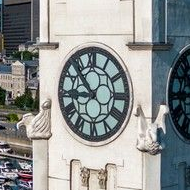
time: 8:53
